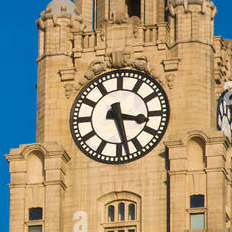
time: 3:27
